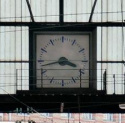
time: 3:43
